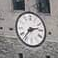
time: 2:36
